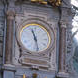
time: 11:28
